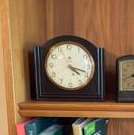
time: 4:18
